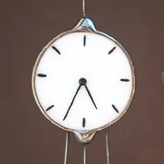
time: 4:35
